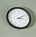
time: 3:09
